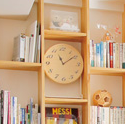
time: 11:09
